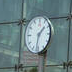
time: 1:32
